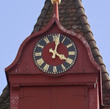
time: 4:02
